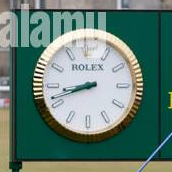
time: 8:41
